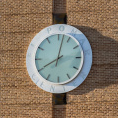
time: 8:02
